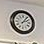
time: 2:06
